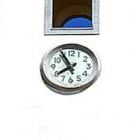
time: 7:55
